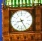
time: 8:25
